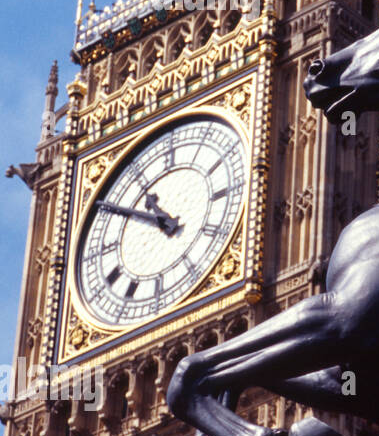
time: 10:50
